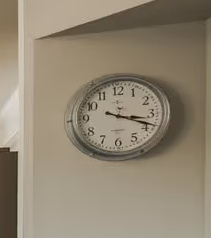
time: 3:18
